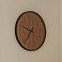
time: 9:36
